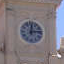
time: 12:13
